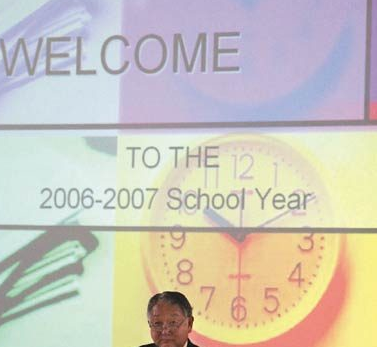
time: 10:14
